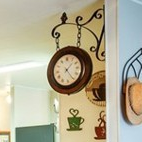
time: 1:24
